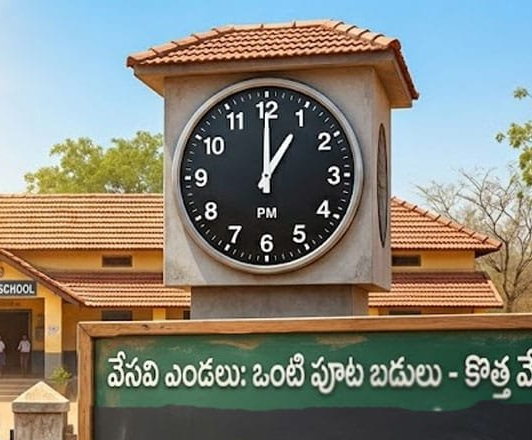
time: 1:00
